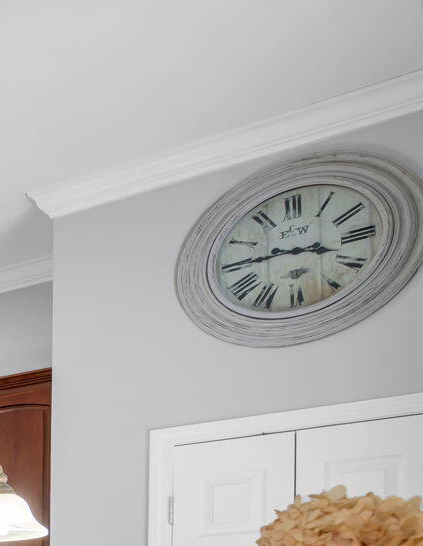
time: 3:45
